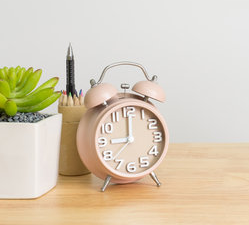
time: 9:00
